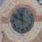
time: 11:48
